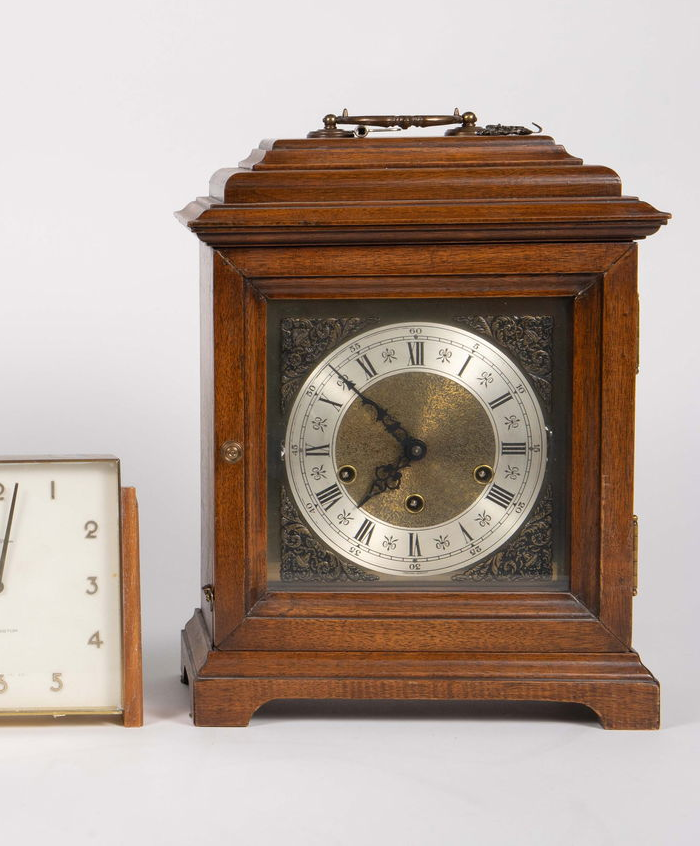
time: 6:52
